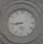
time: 8:43
